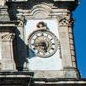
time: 5:42
